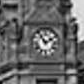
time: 1:54
